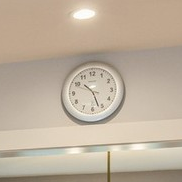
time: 10:26
